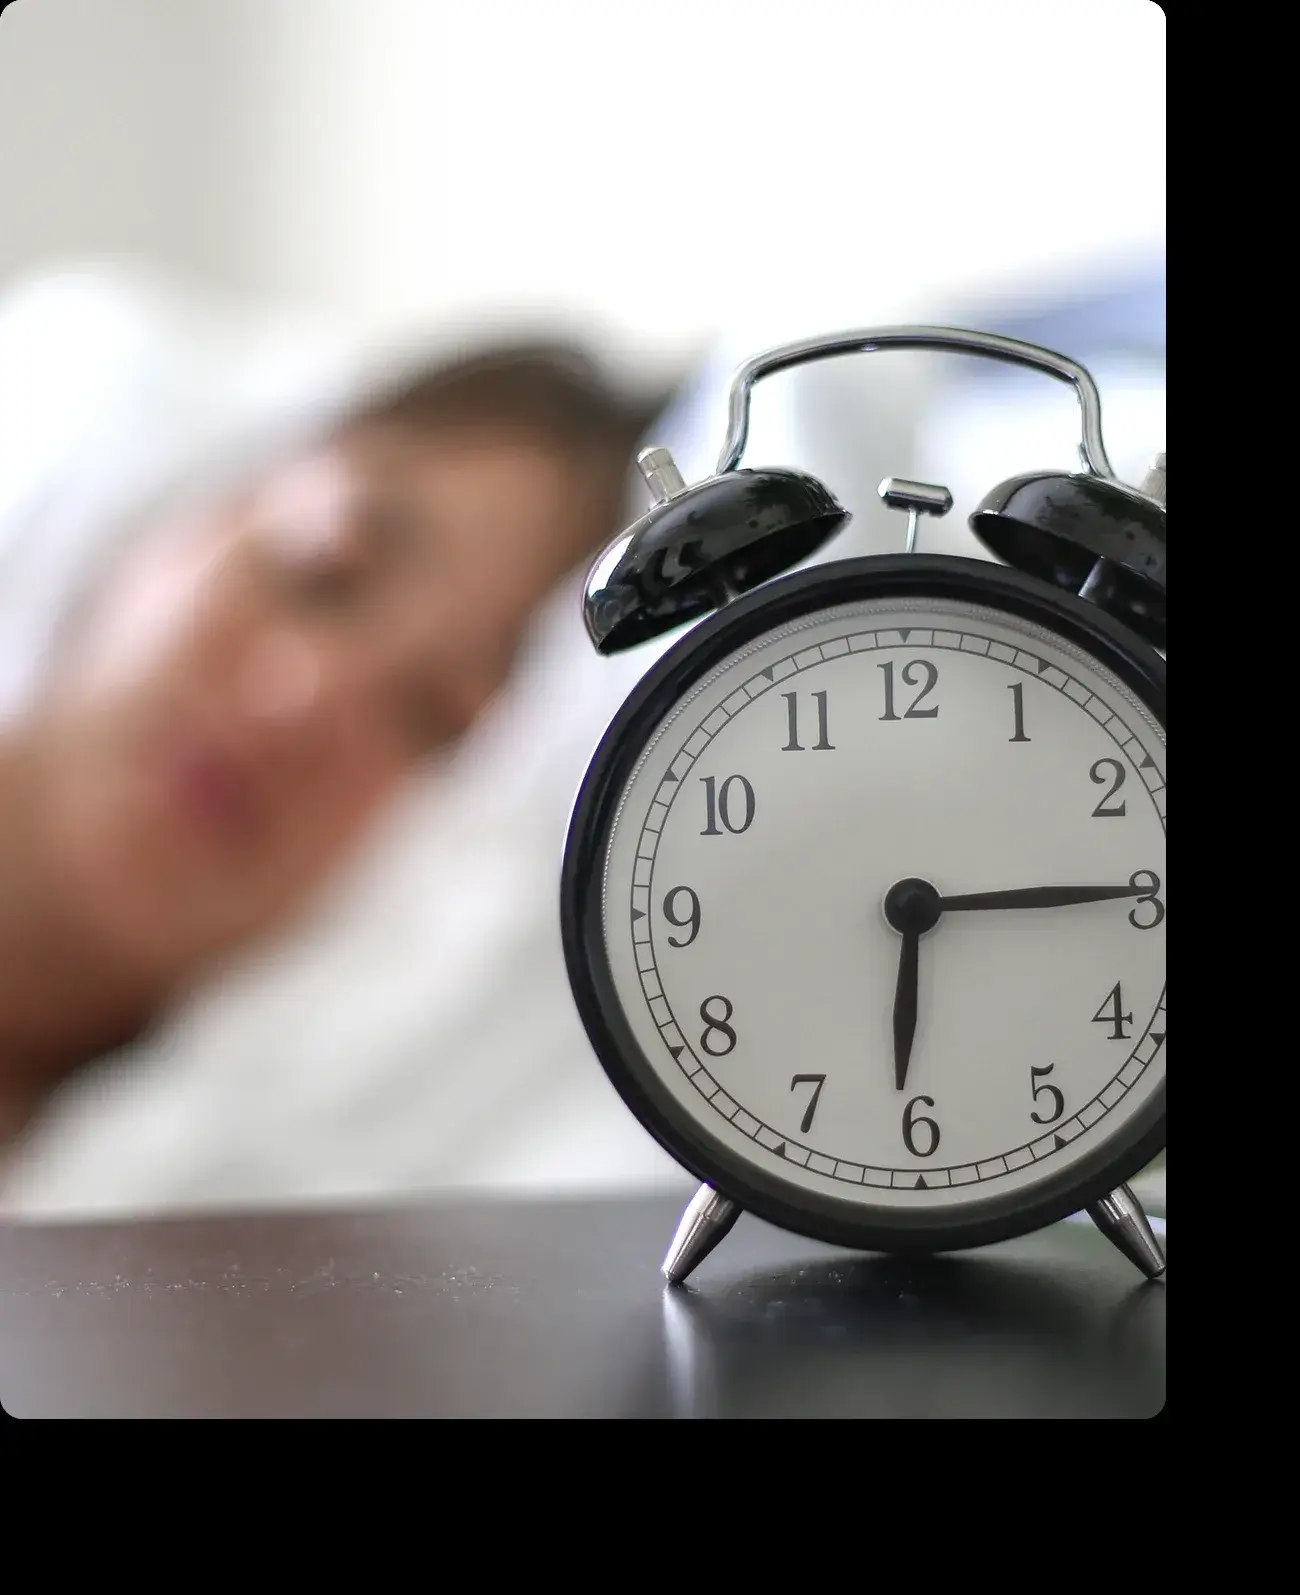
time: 6:14
